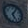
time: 5:05
